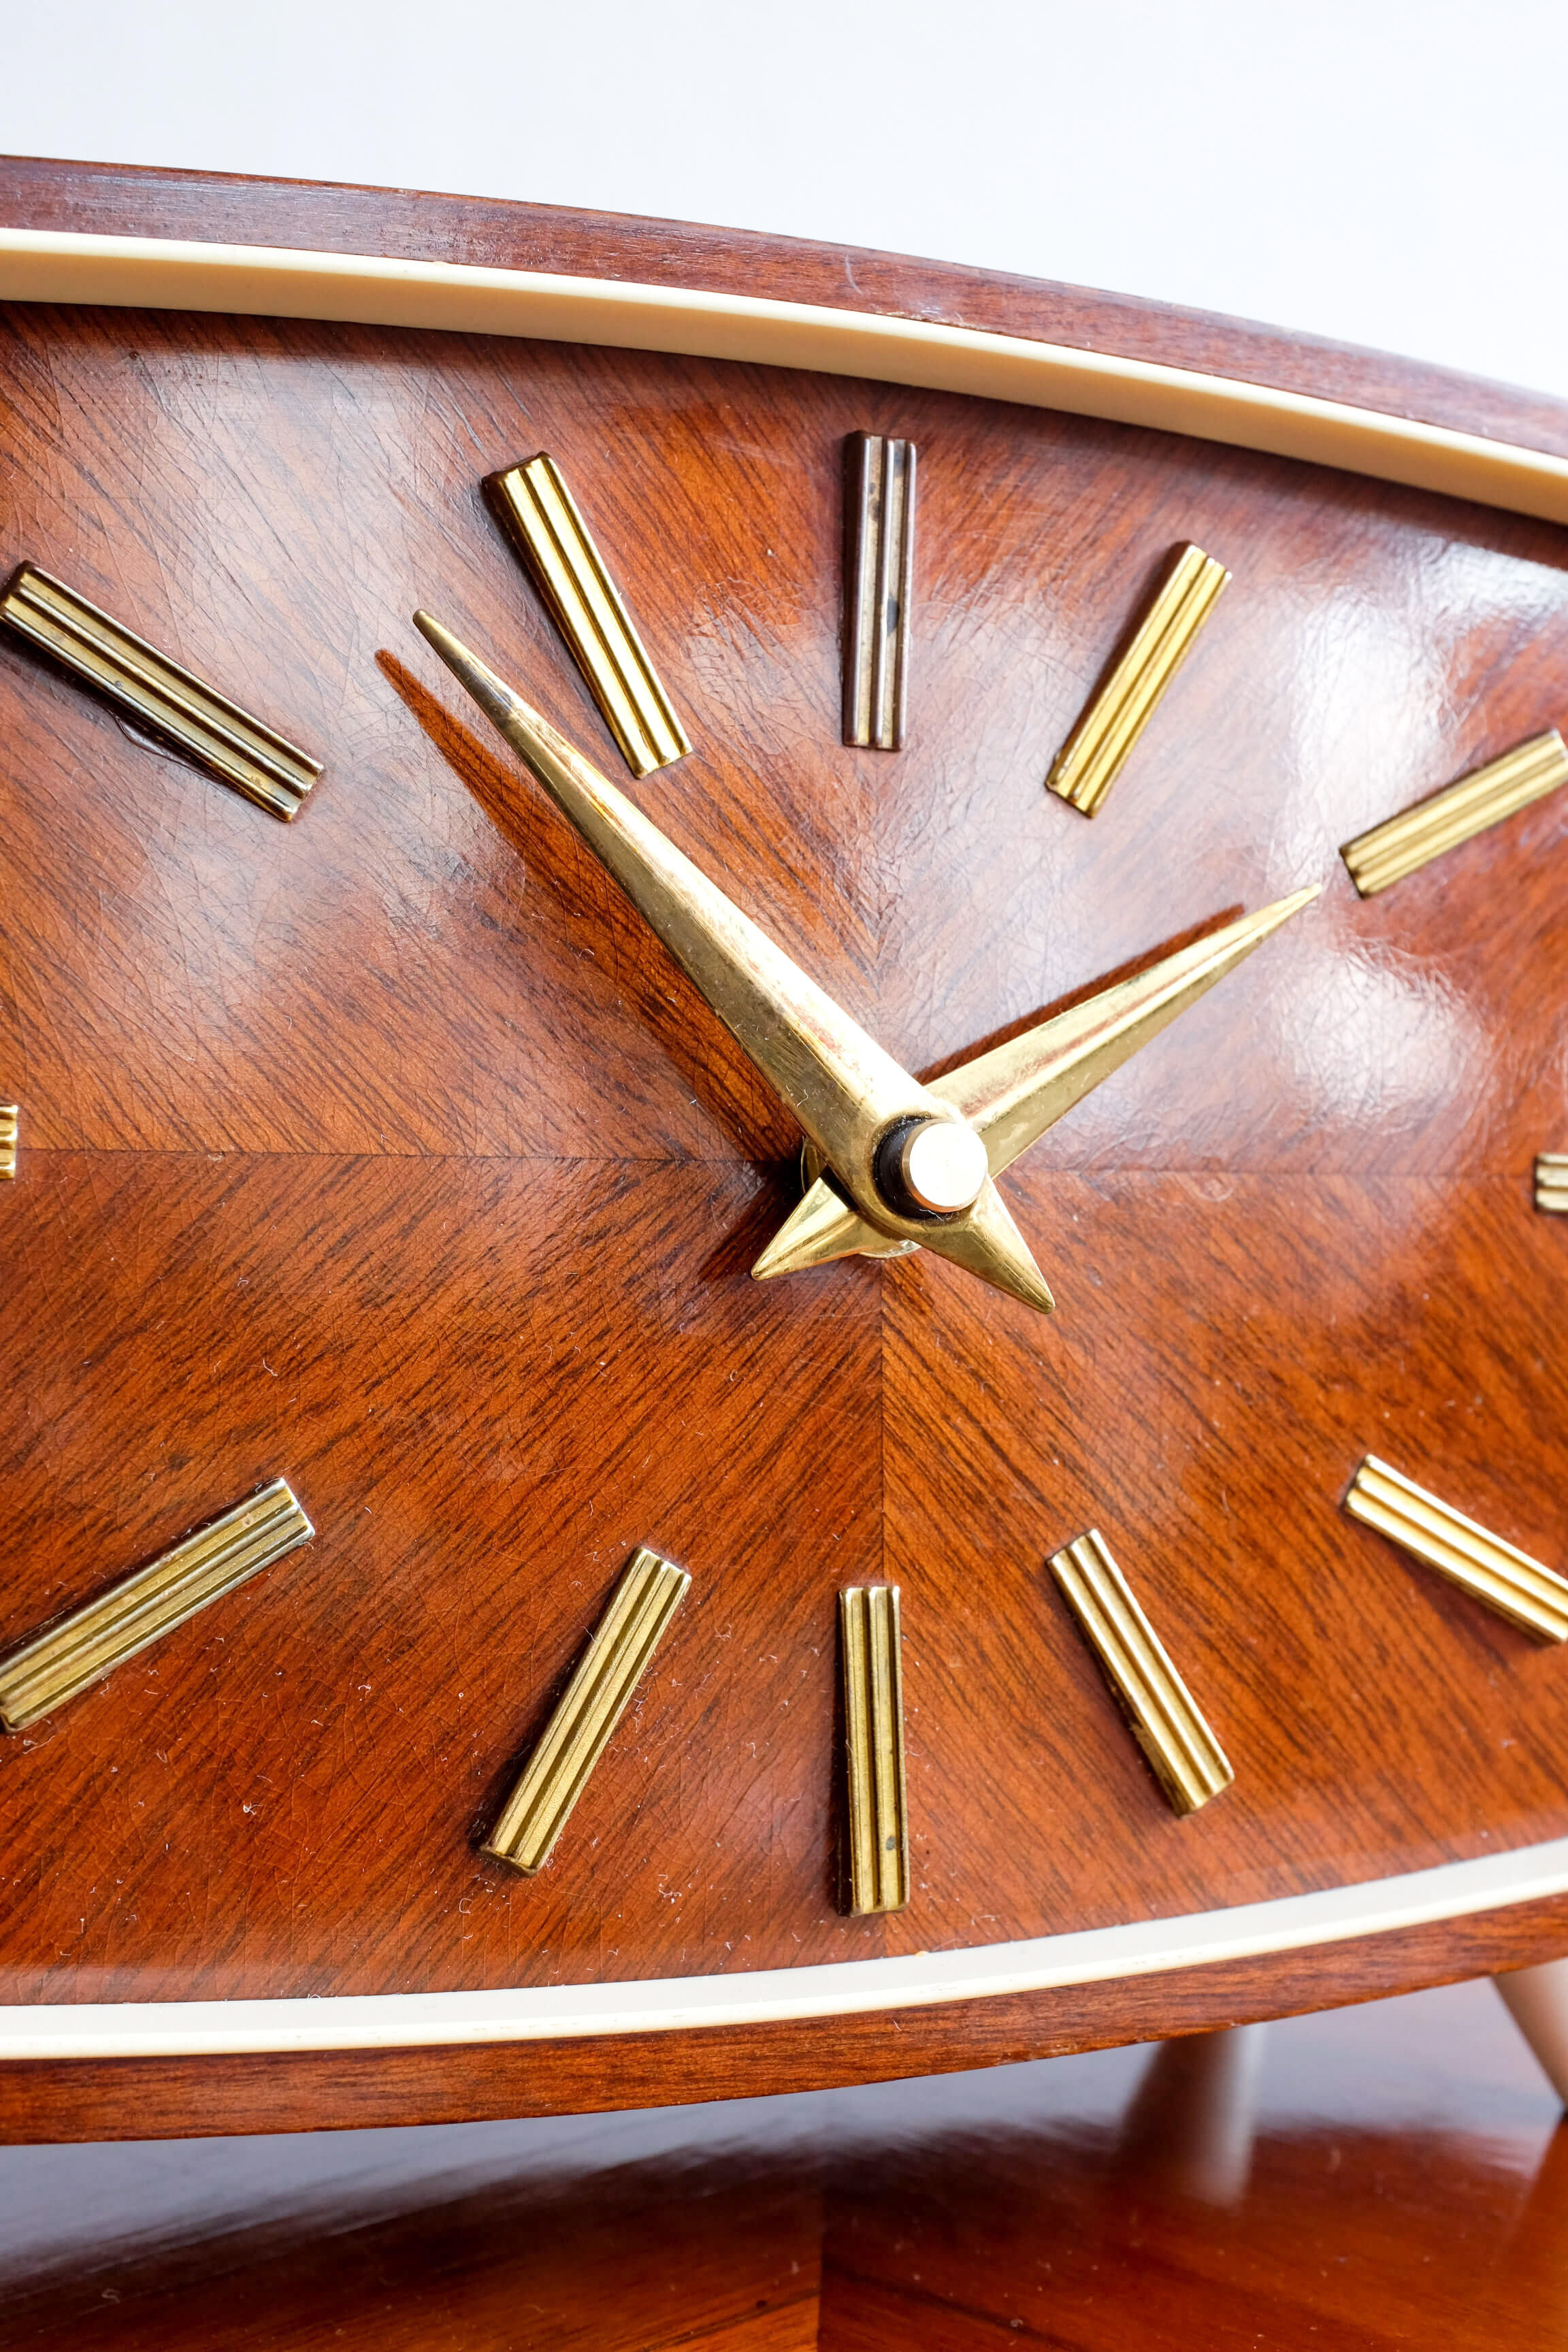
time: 1:52
